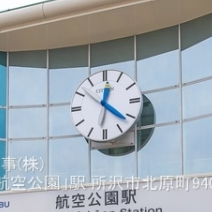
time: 12:21
